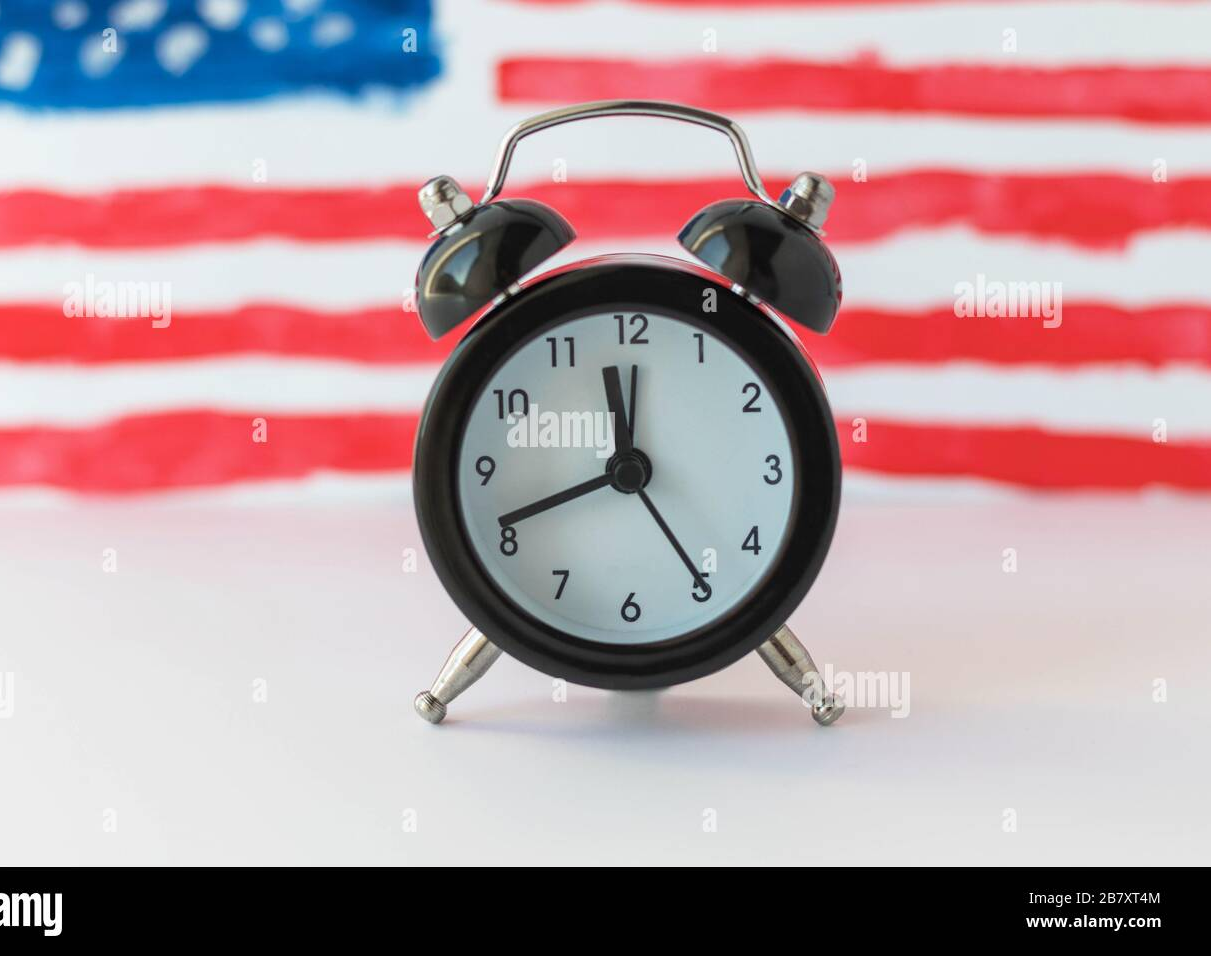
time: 11:41
